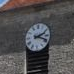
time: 2:18
